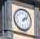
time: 2:06
